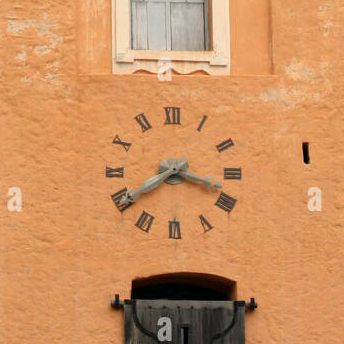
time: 3:39
